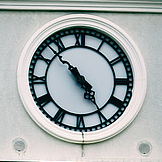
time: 4:52
